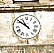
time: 10:51
